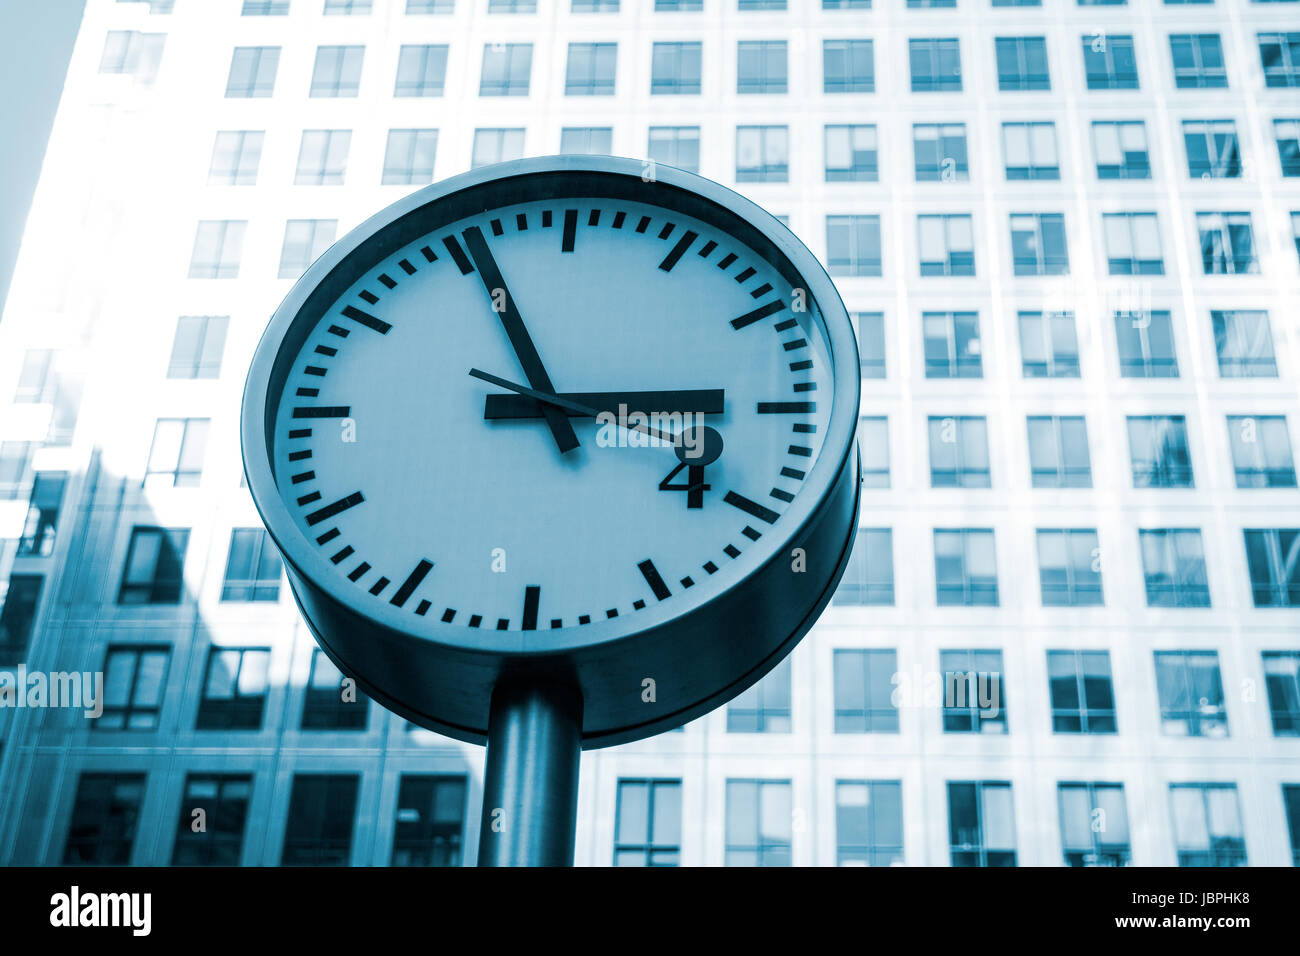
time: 2:55
